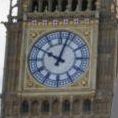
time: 10:02
